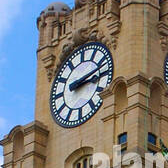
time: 3:12
